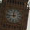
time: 11:43
